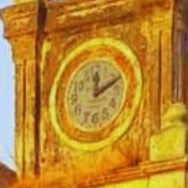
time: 12:10
